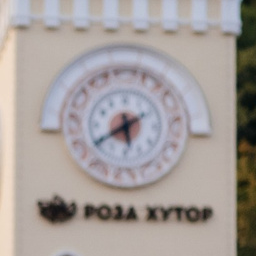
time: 5:38
